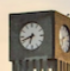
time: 6:41
